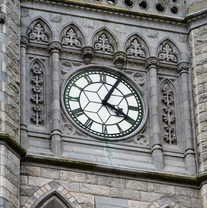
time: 4:04
